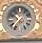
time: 9:36
